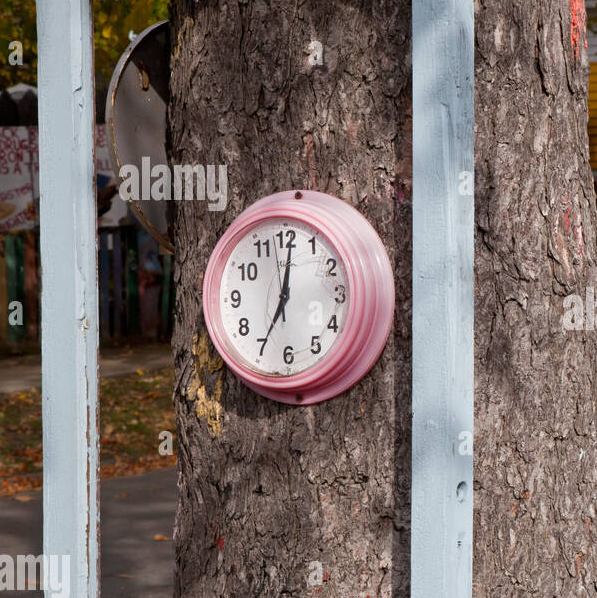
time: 7:01
